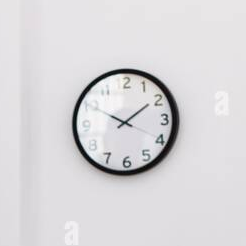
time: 1:50
